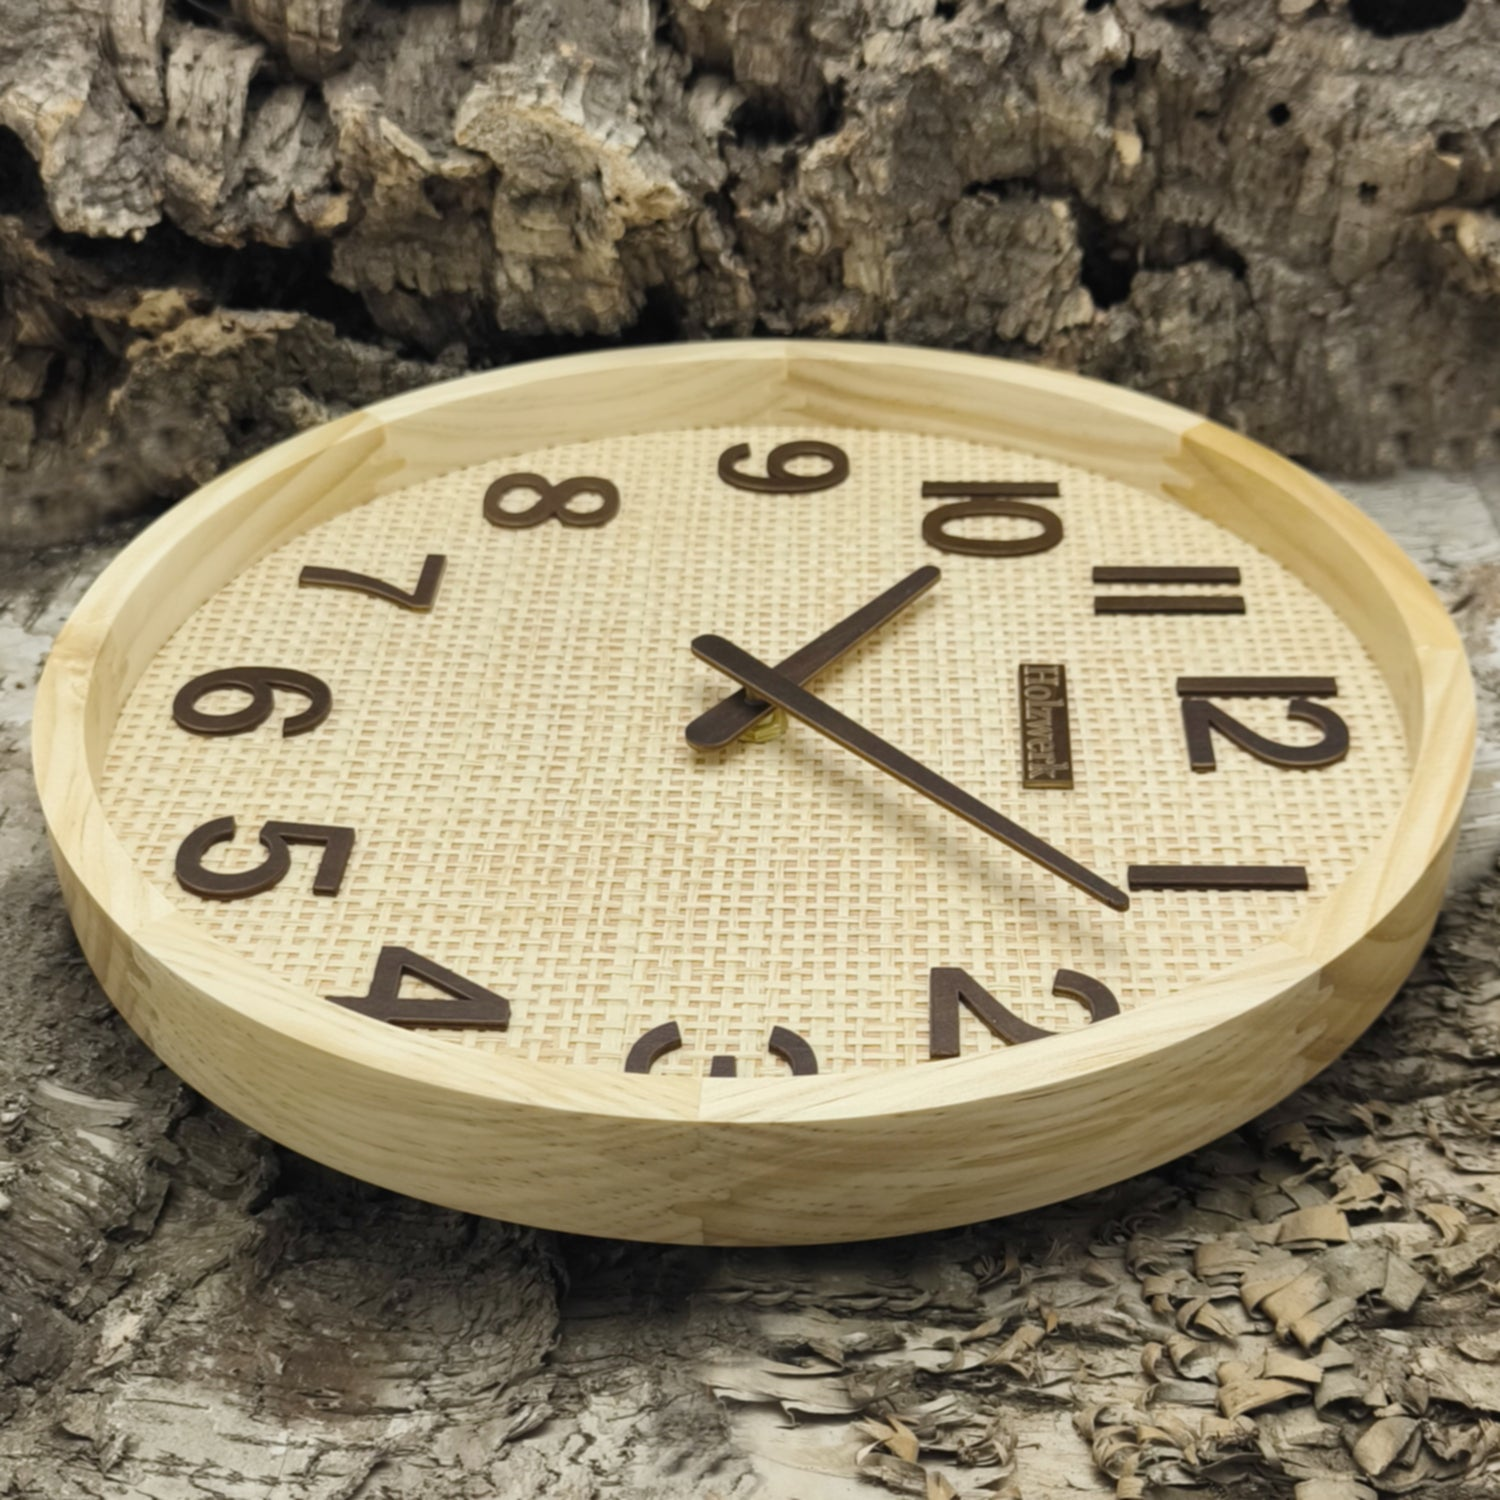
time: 1:22
